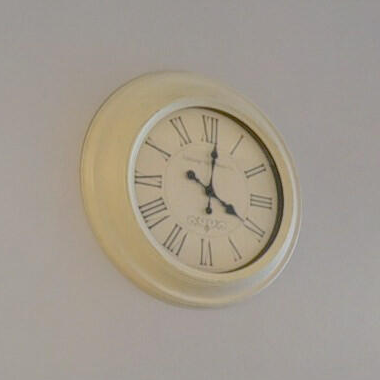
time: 4:01
